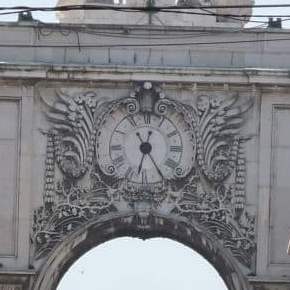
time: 12:32
